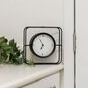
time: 6:55
